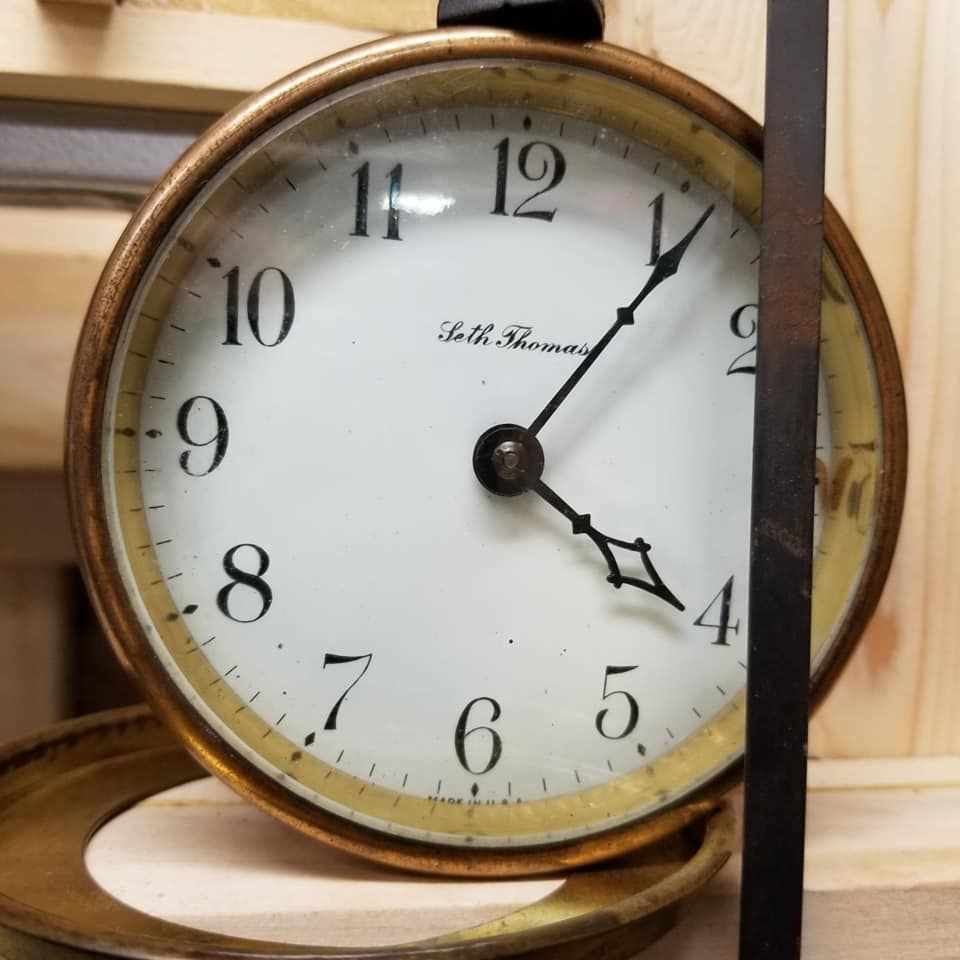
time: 4:06
